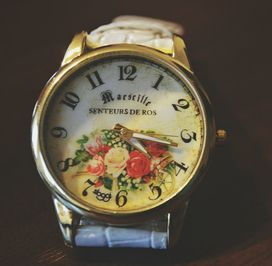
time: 4:16
